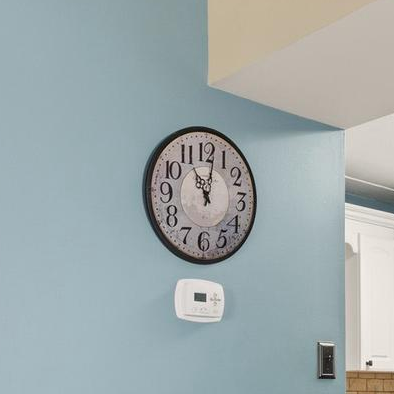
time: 11:02
